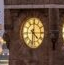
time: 4:31
